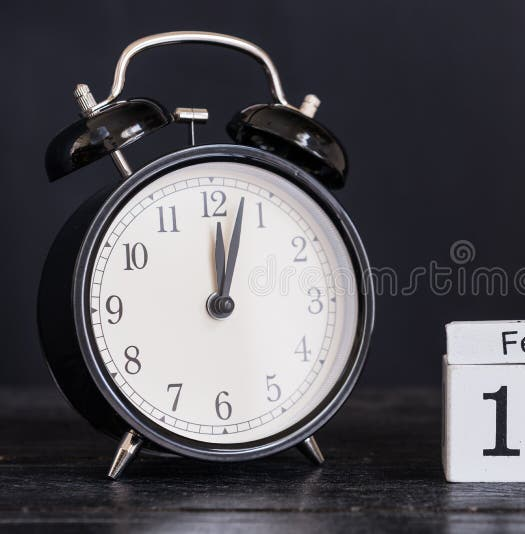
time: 12:02
